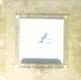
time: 1:16
